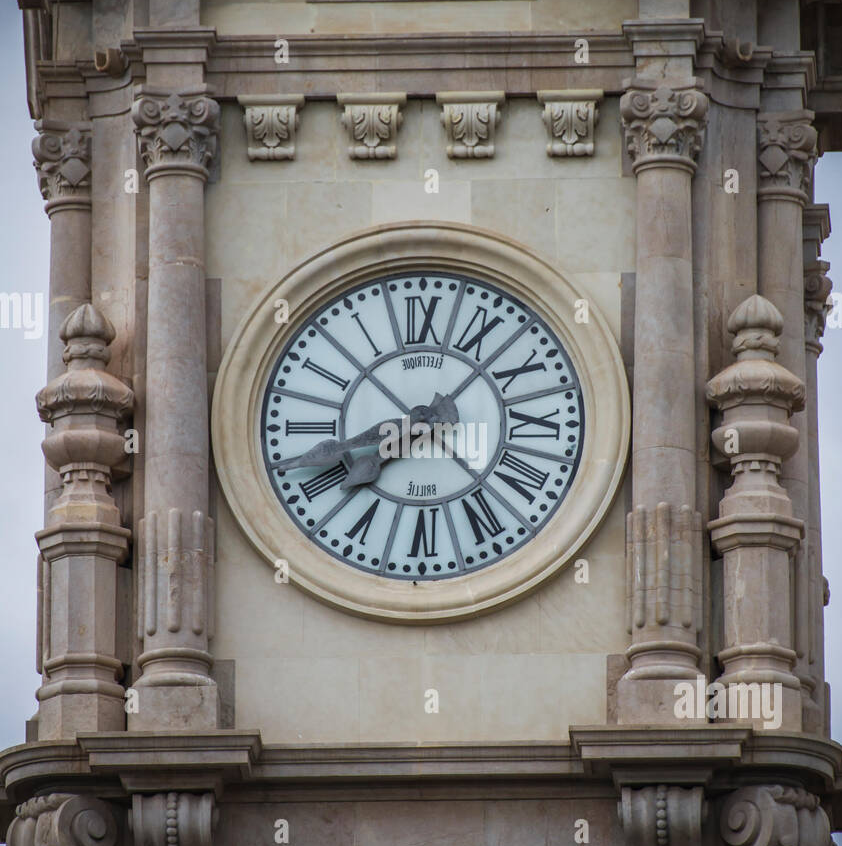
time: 8:07
